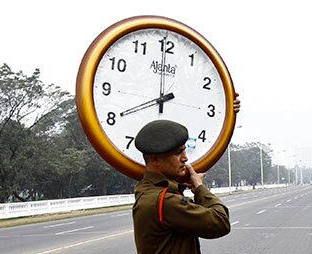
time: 7:59
